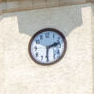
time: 2:30
